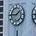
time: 1:45
